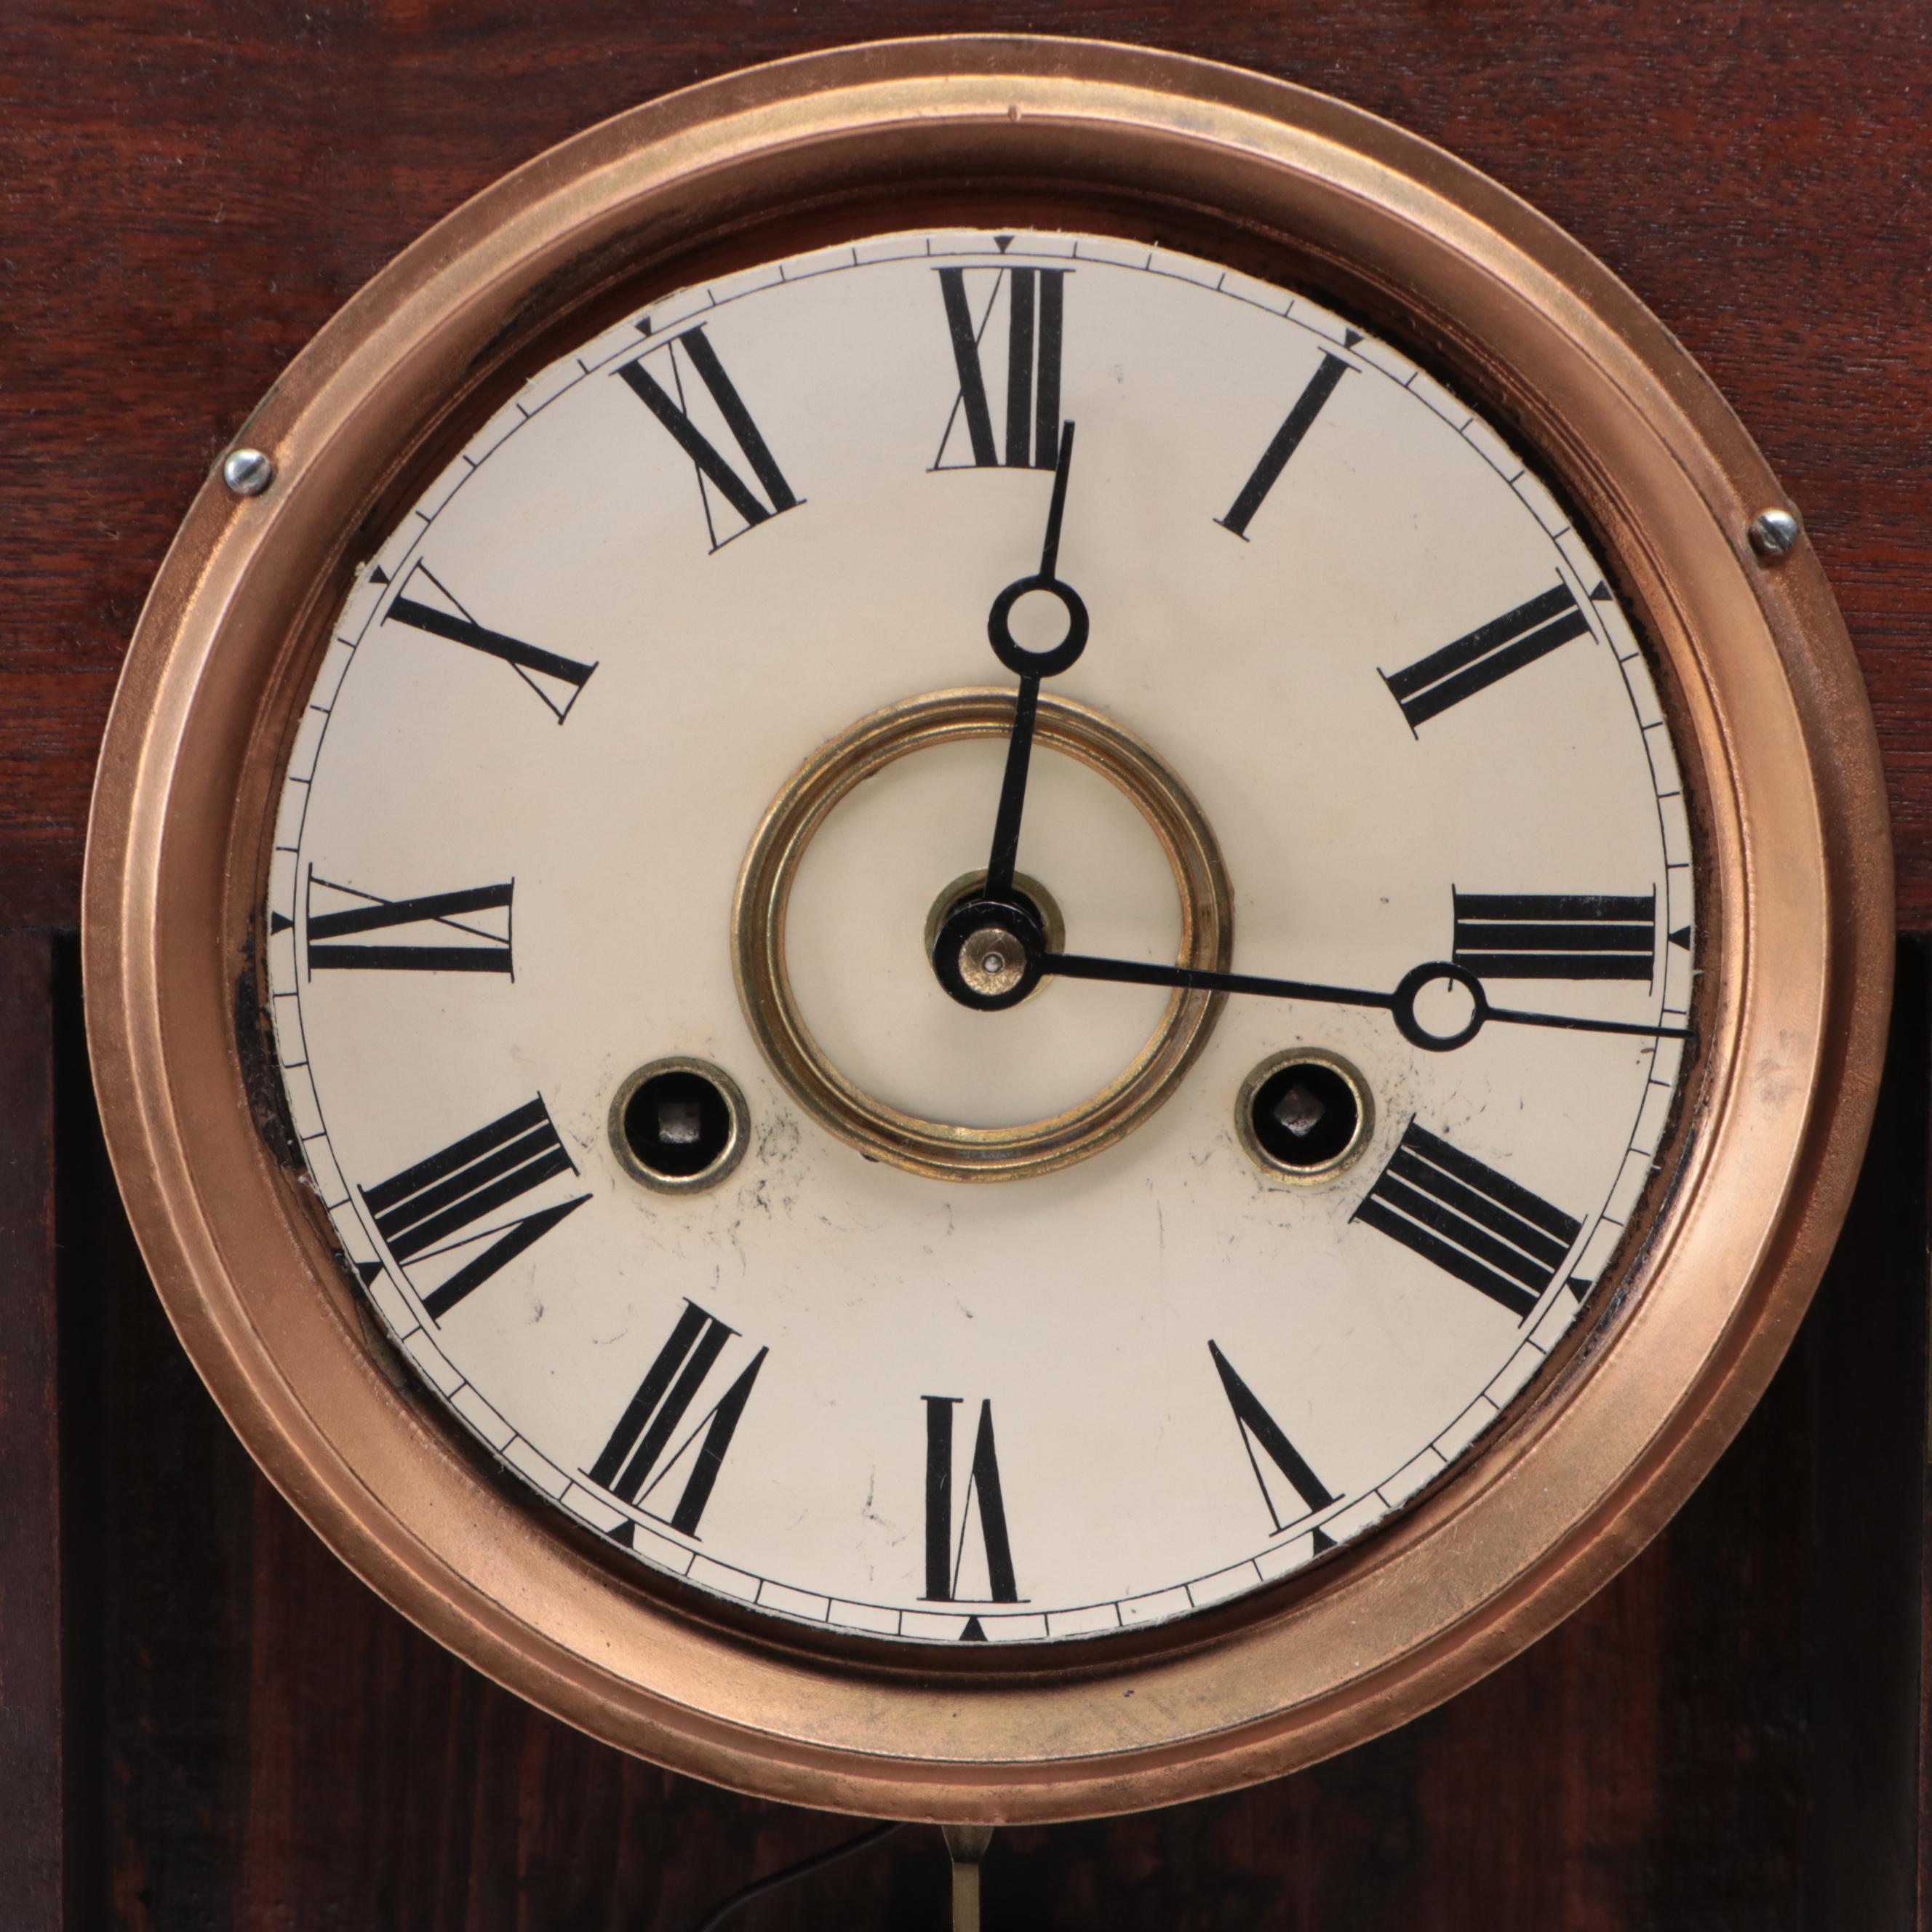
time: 12:16
